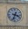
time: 3:33
